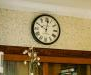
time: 10:01
